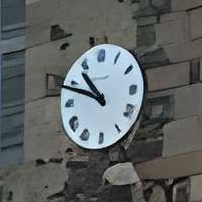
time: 10:48
